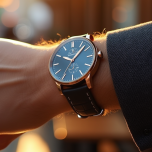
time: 10:07
